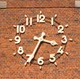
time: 3:34
